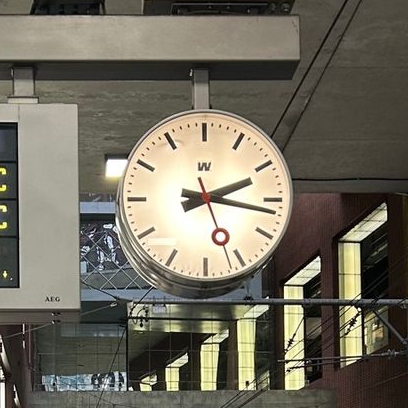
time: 2:16
